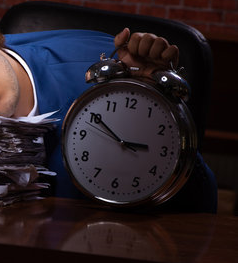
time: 2:50
